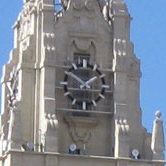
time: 1:50
